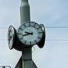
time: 9:42
